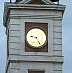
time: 9:25
